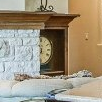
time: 5:59
